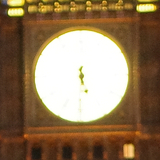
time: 5:30
